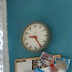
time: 9:25
